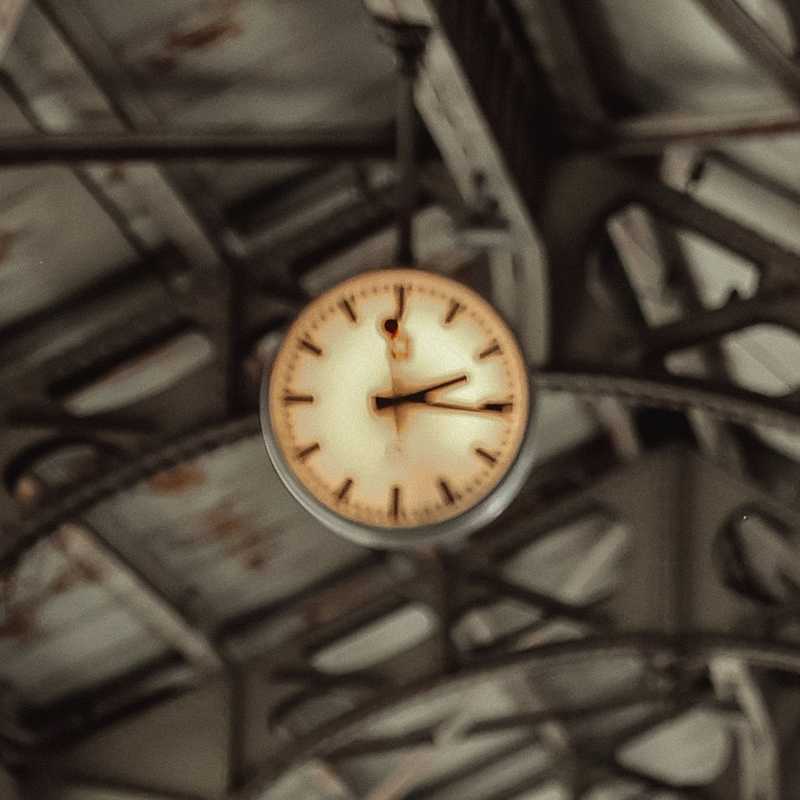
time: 2:15
